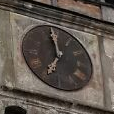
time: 6:58
